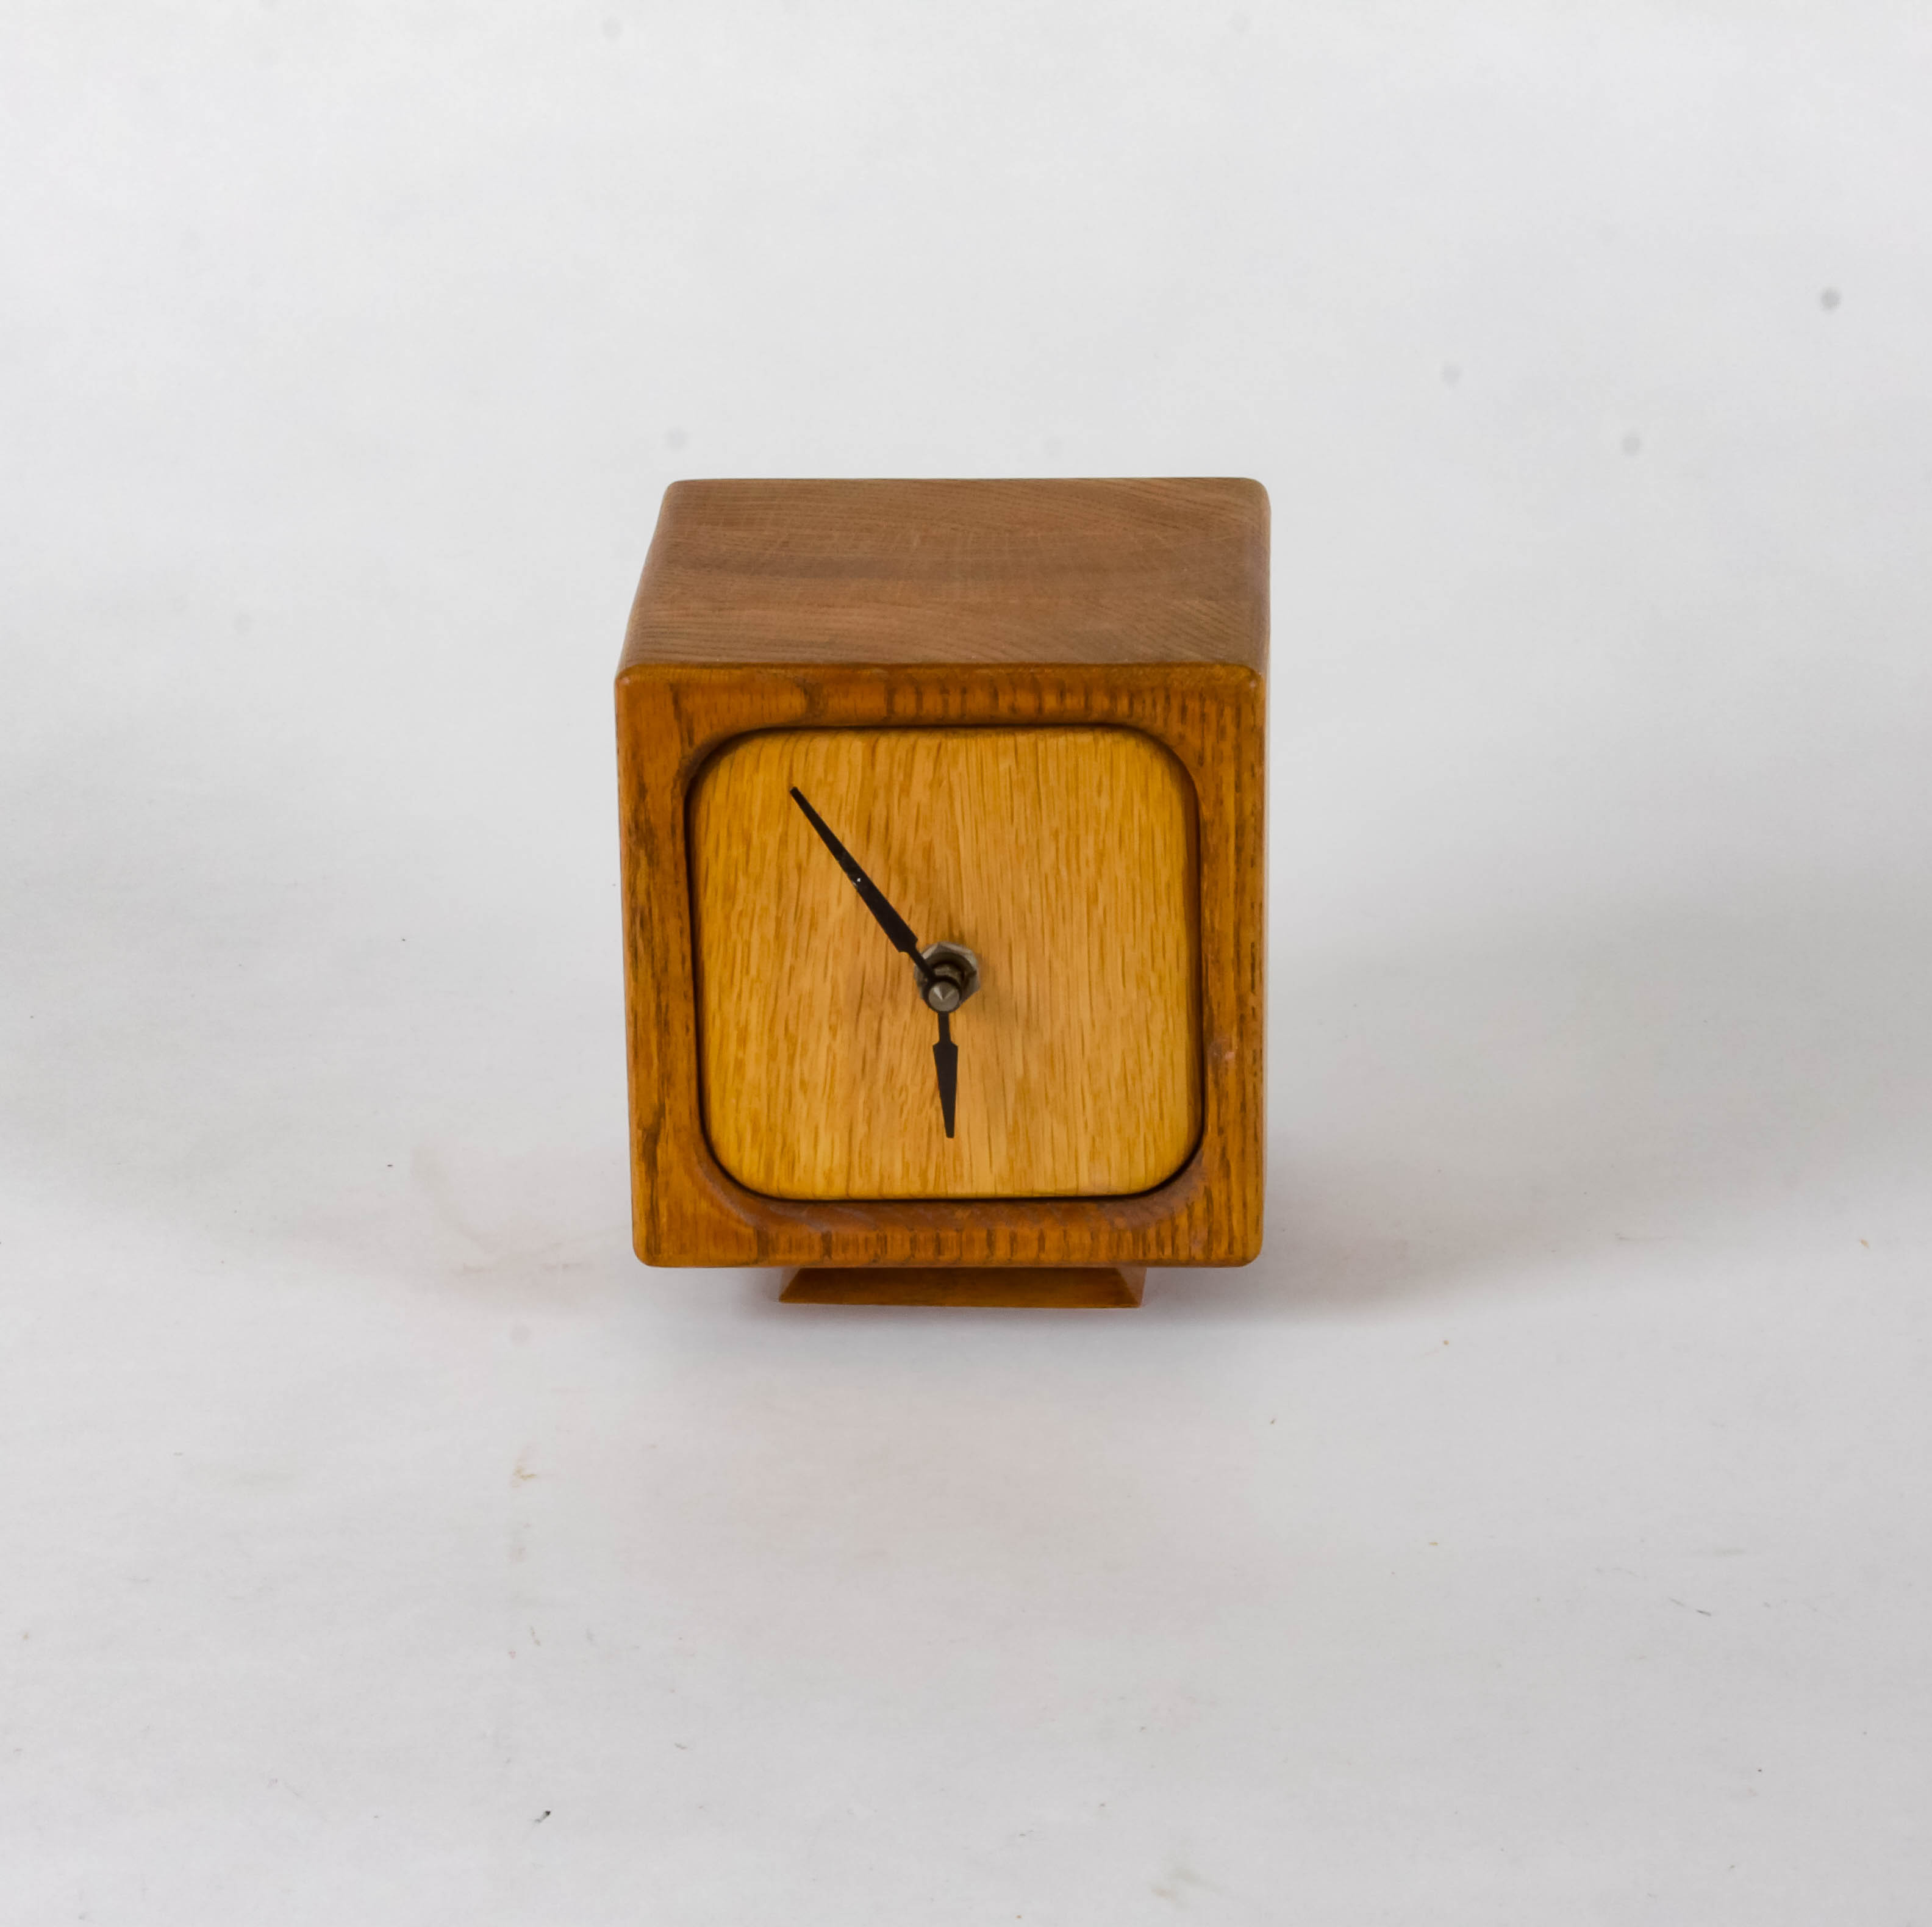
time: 5:53
